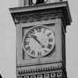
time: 10:53
